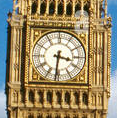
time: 3:31
